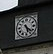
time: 5:22
